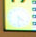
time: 4:31
